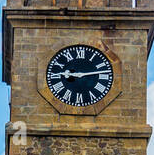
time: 9:13
